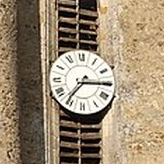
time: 7:15
